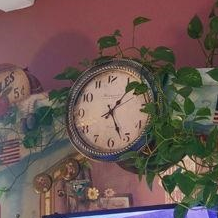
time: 1:26
